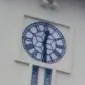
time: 12:28
